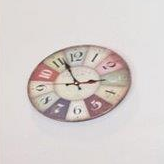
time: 2:56
